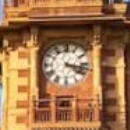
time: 4:17
